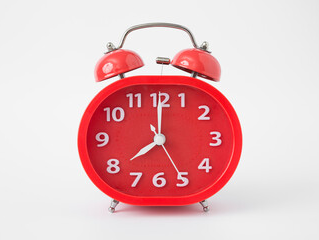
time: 8:00
